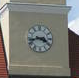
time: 3:42
